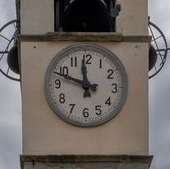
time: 11:48
